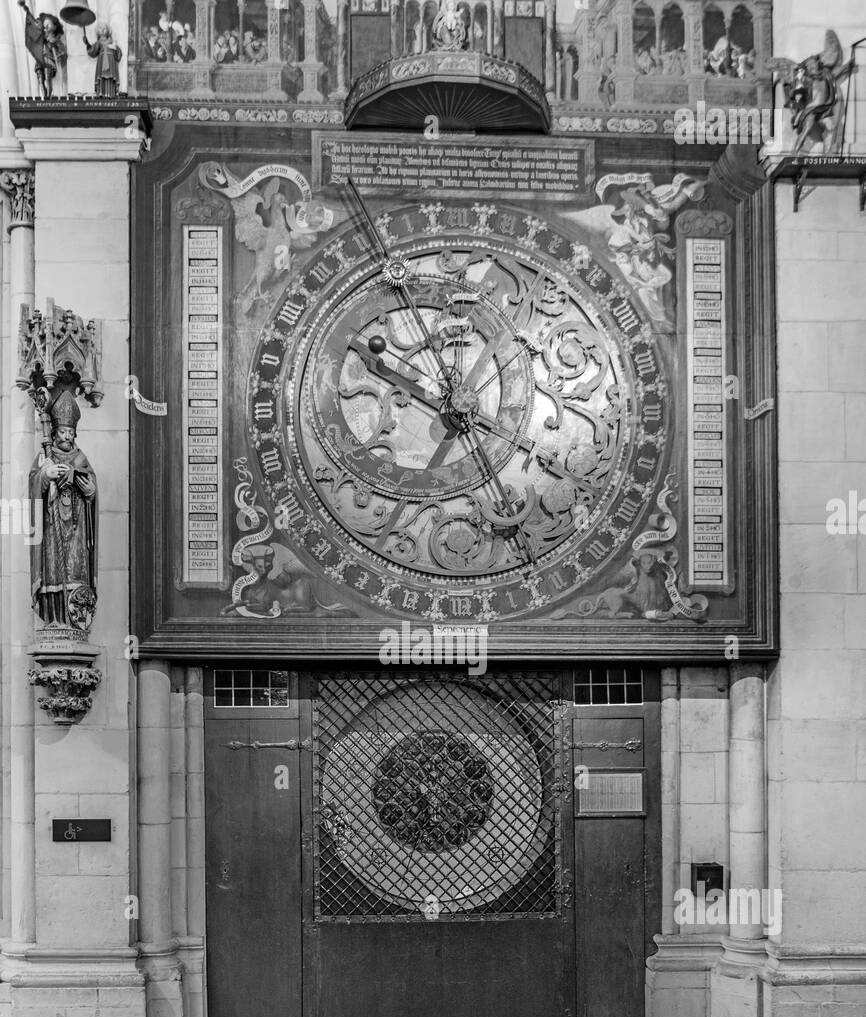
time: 9:56
